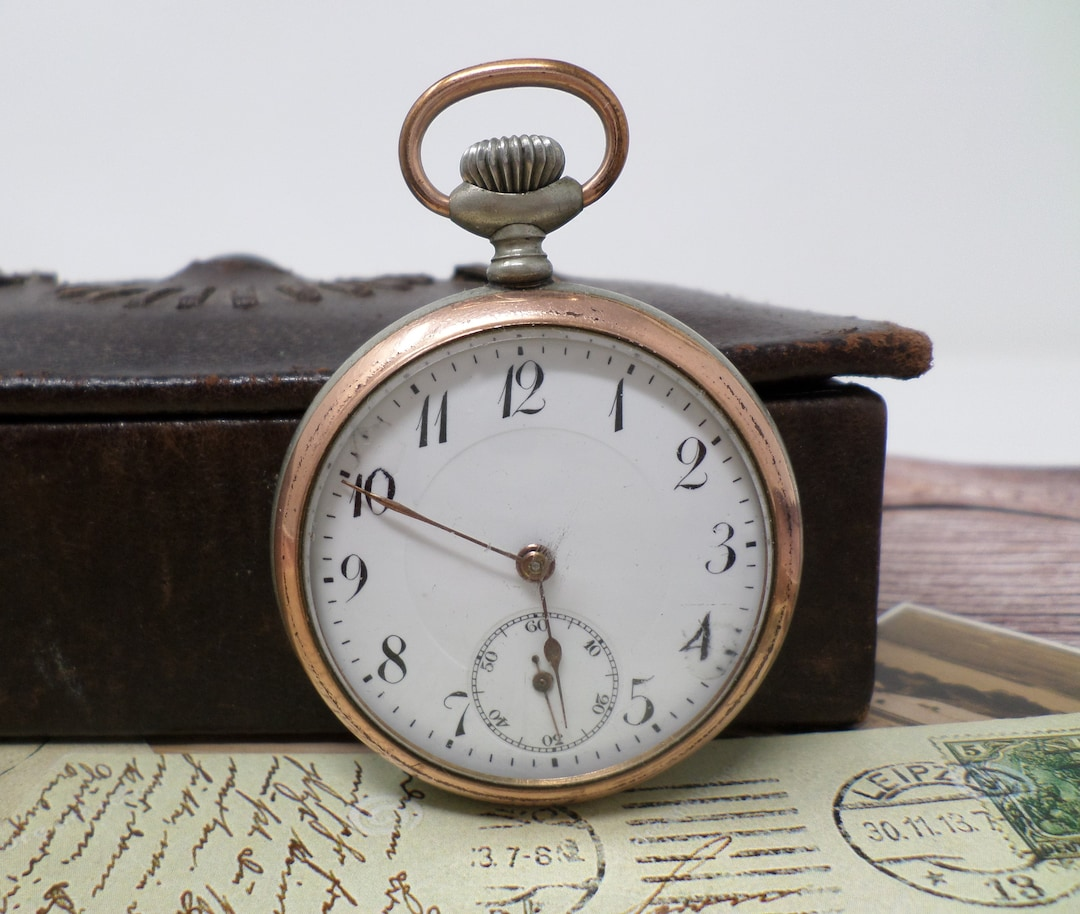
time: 5:49
